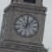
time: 12:06
